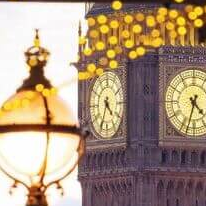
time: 4:34
